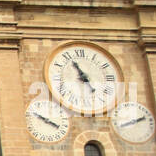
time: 10:55
